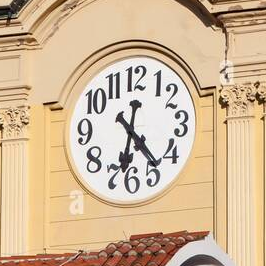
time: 6:23
